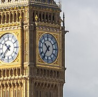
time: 10:36
